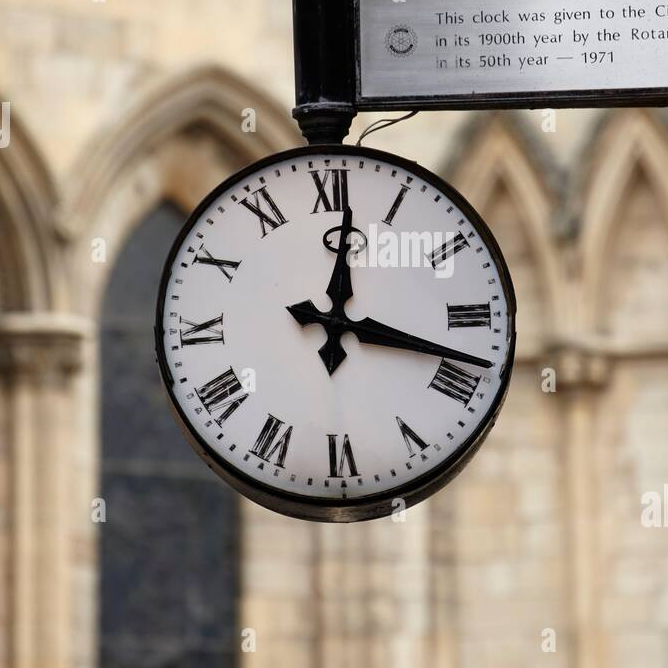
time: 12:18
